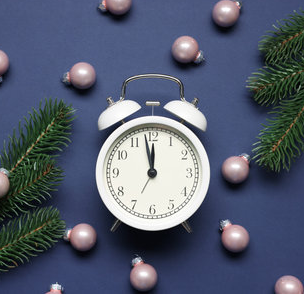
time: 11:58
